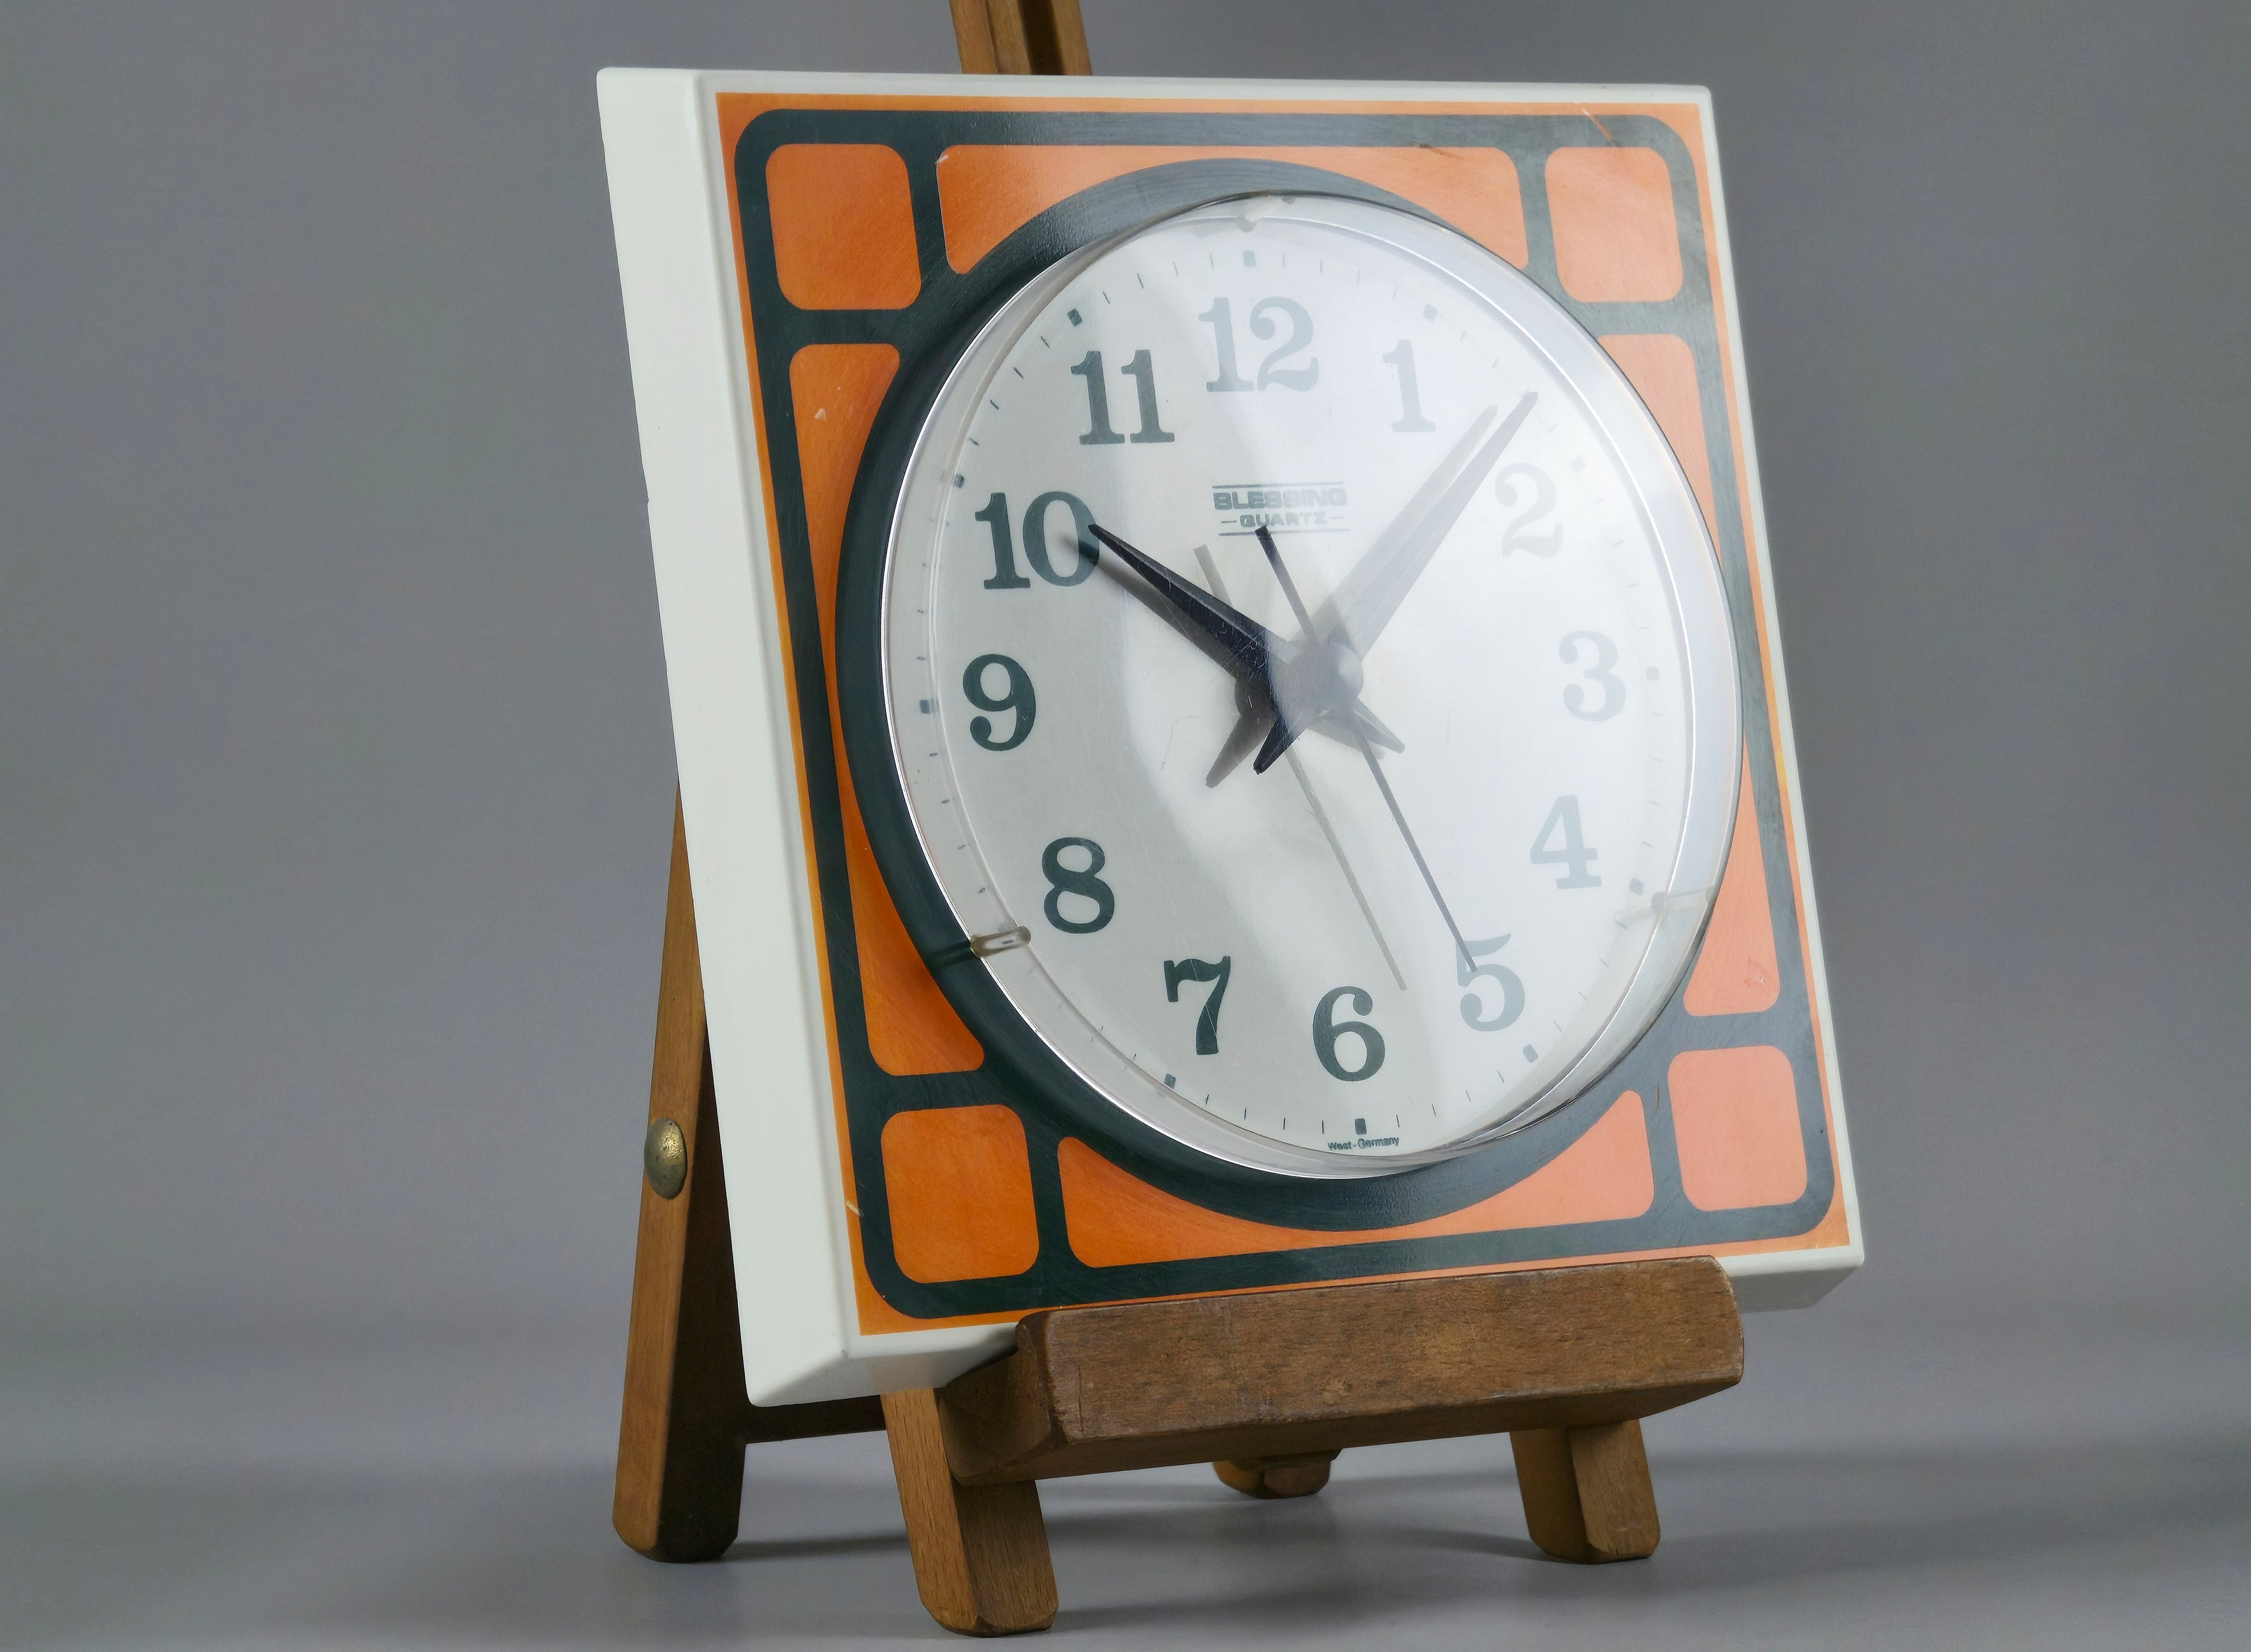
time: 10:07
